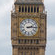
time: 2:14
